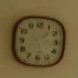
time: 1:26
